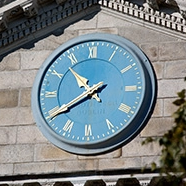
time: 10:39
